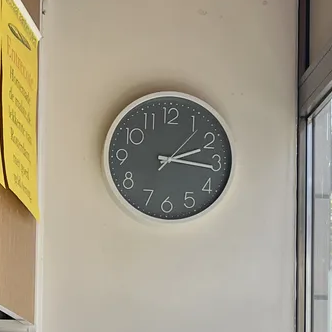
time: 2:16
